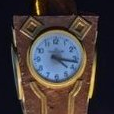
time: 4:16
